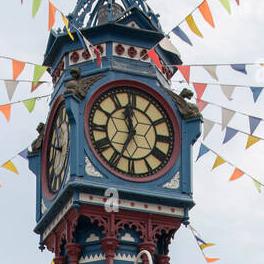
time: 11:34
